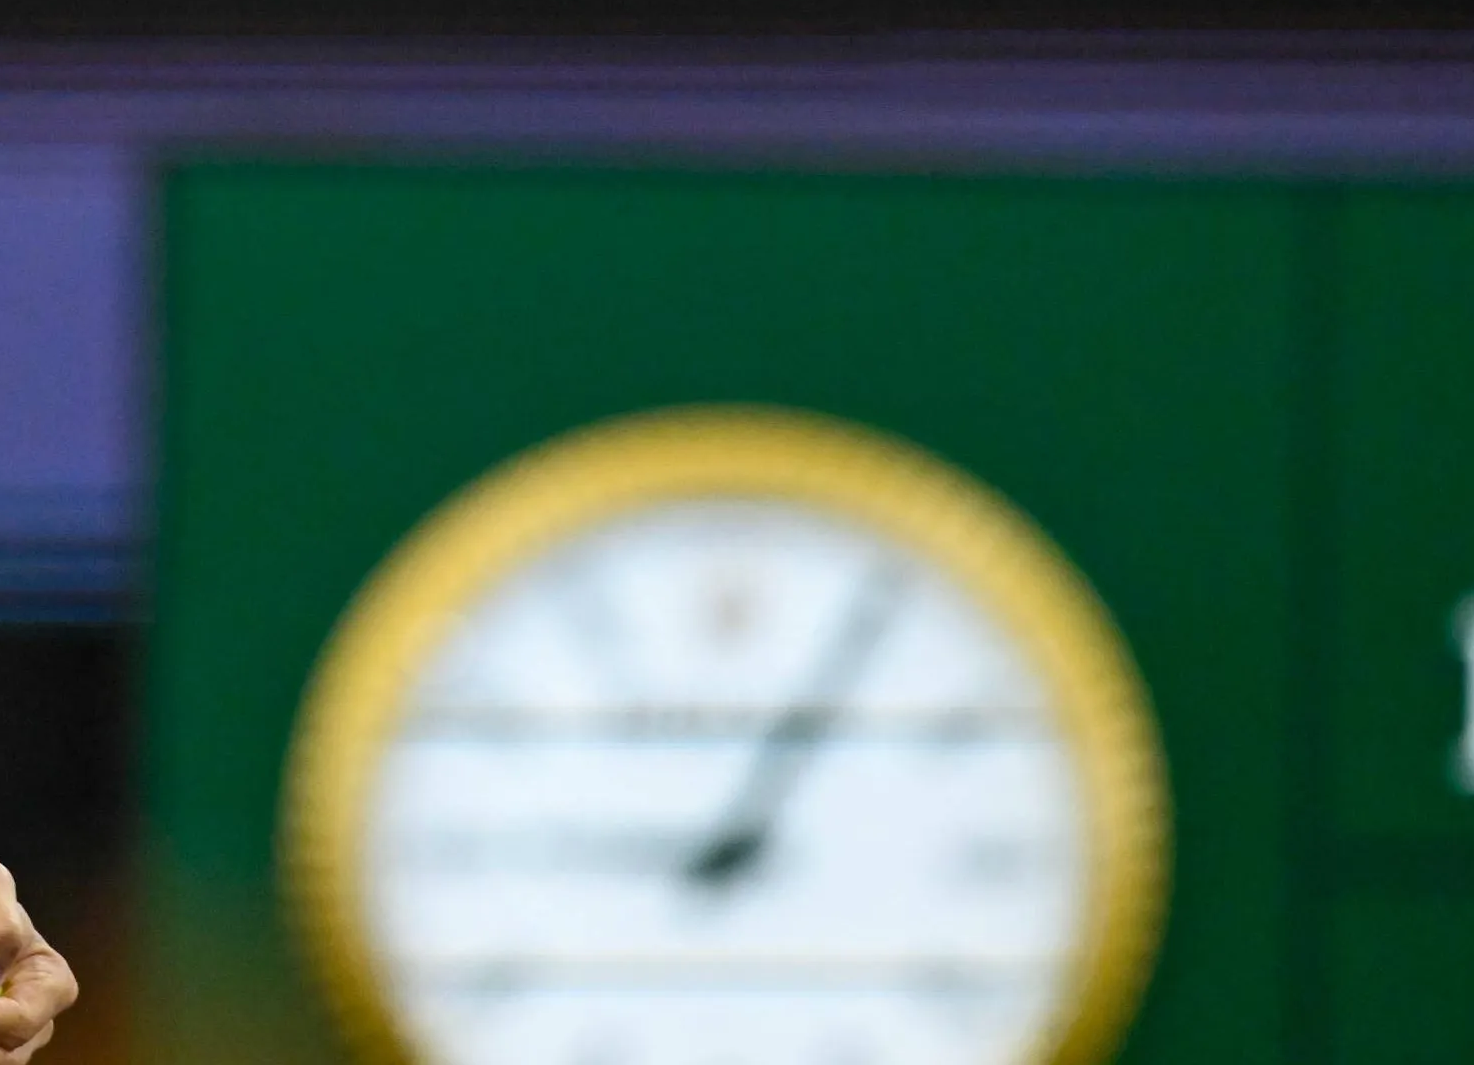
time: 9:04
